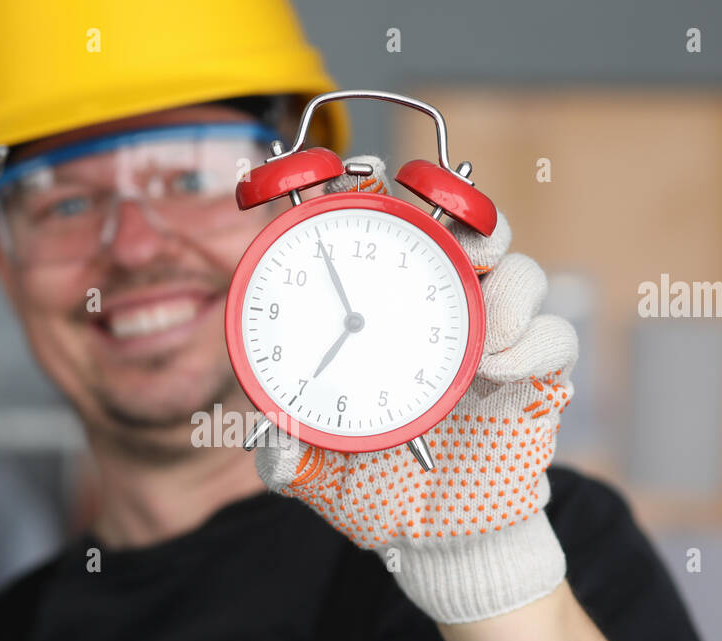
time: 6:54
